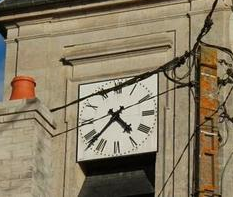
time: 4:37
